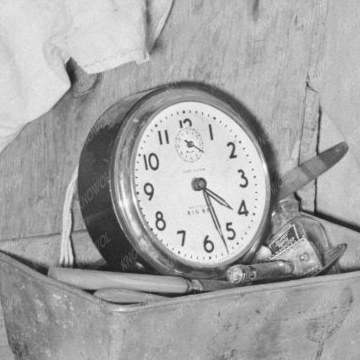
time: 4:27
